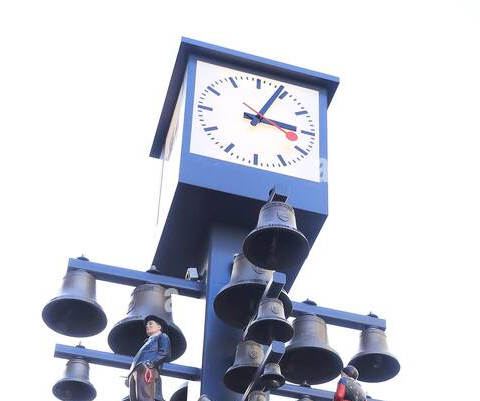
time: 3:04
